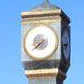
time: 7:37
